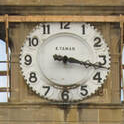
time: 3:17
